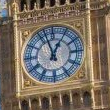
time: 12:57
